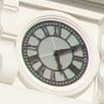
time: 5:10
